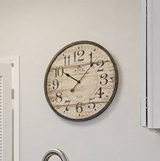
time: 10:07
